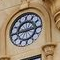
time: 2:44
